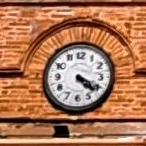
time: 4:19
